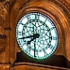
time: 7:42
